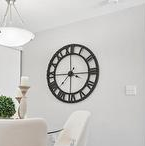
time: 7:15
